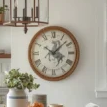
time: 4:07
